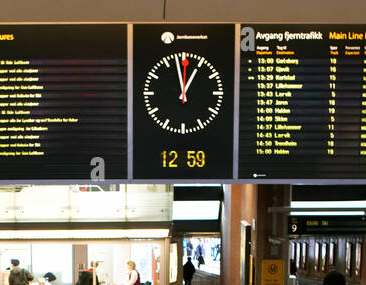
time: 12:58
